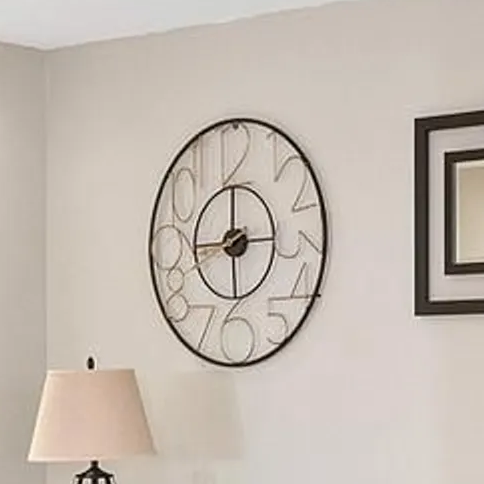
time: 8:59
